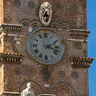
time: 2:18
